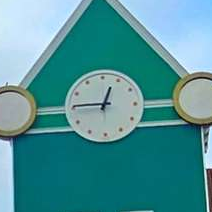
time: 12:45
